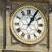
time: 1:05
